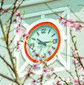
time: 10:15
